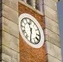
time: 11:32
